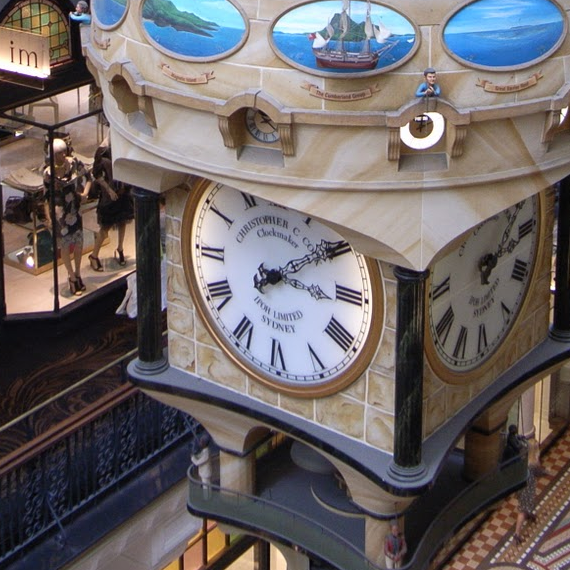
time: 3:09
